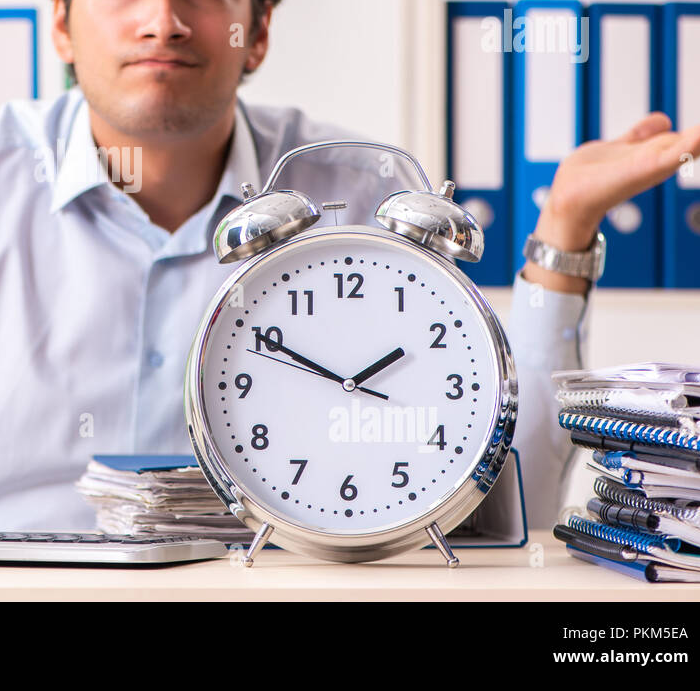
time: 1:50
